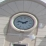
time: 1:47
